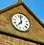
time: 6:58
